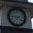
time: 2:46
